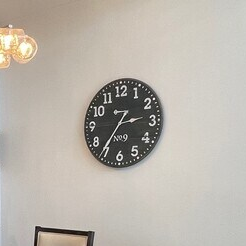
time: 2:36
